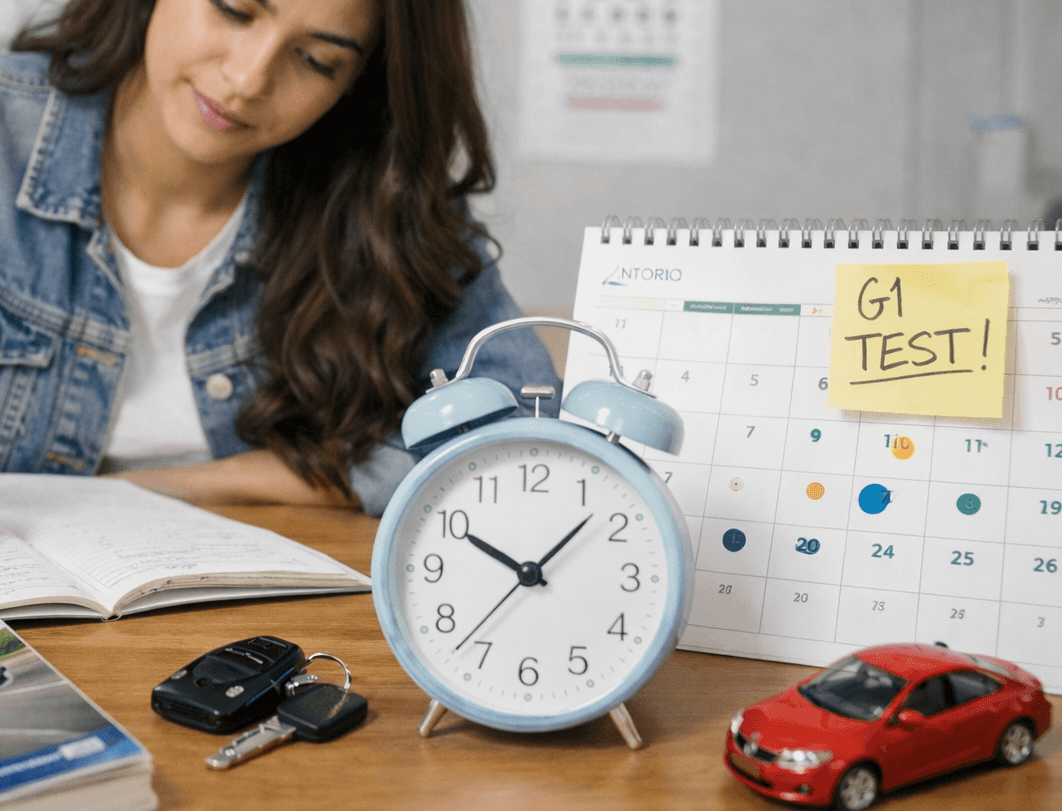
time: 10:07
